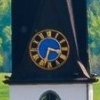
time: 3:33
